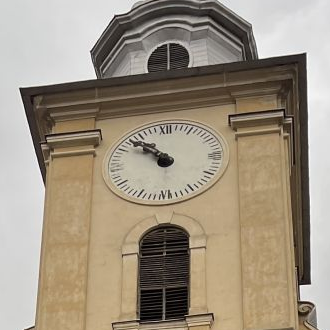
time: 10:52
